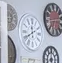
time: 11:40
